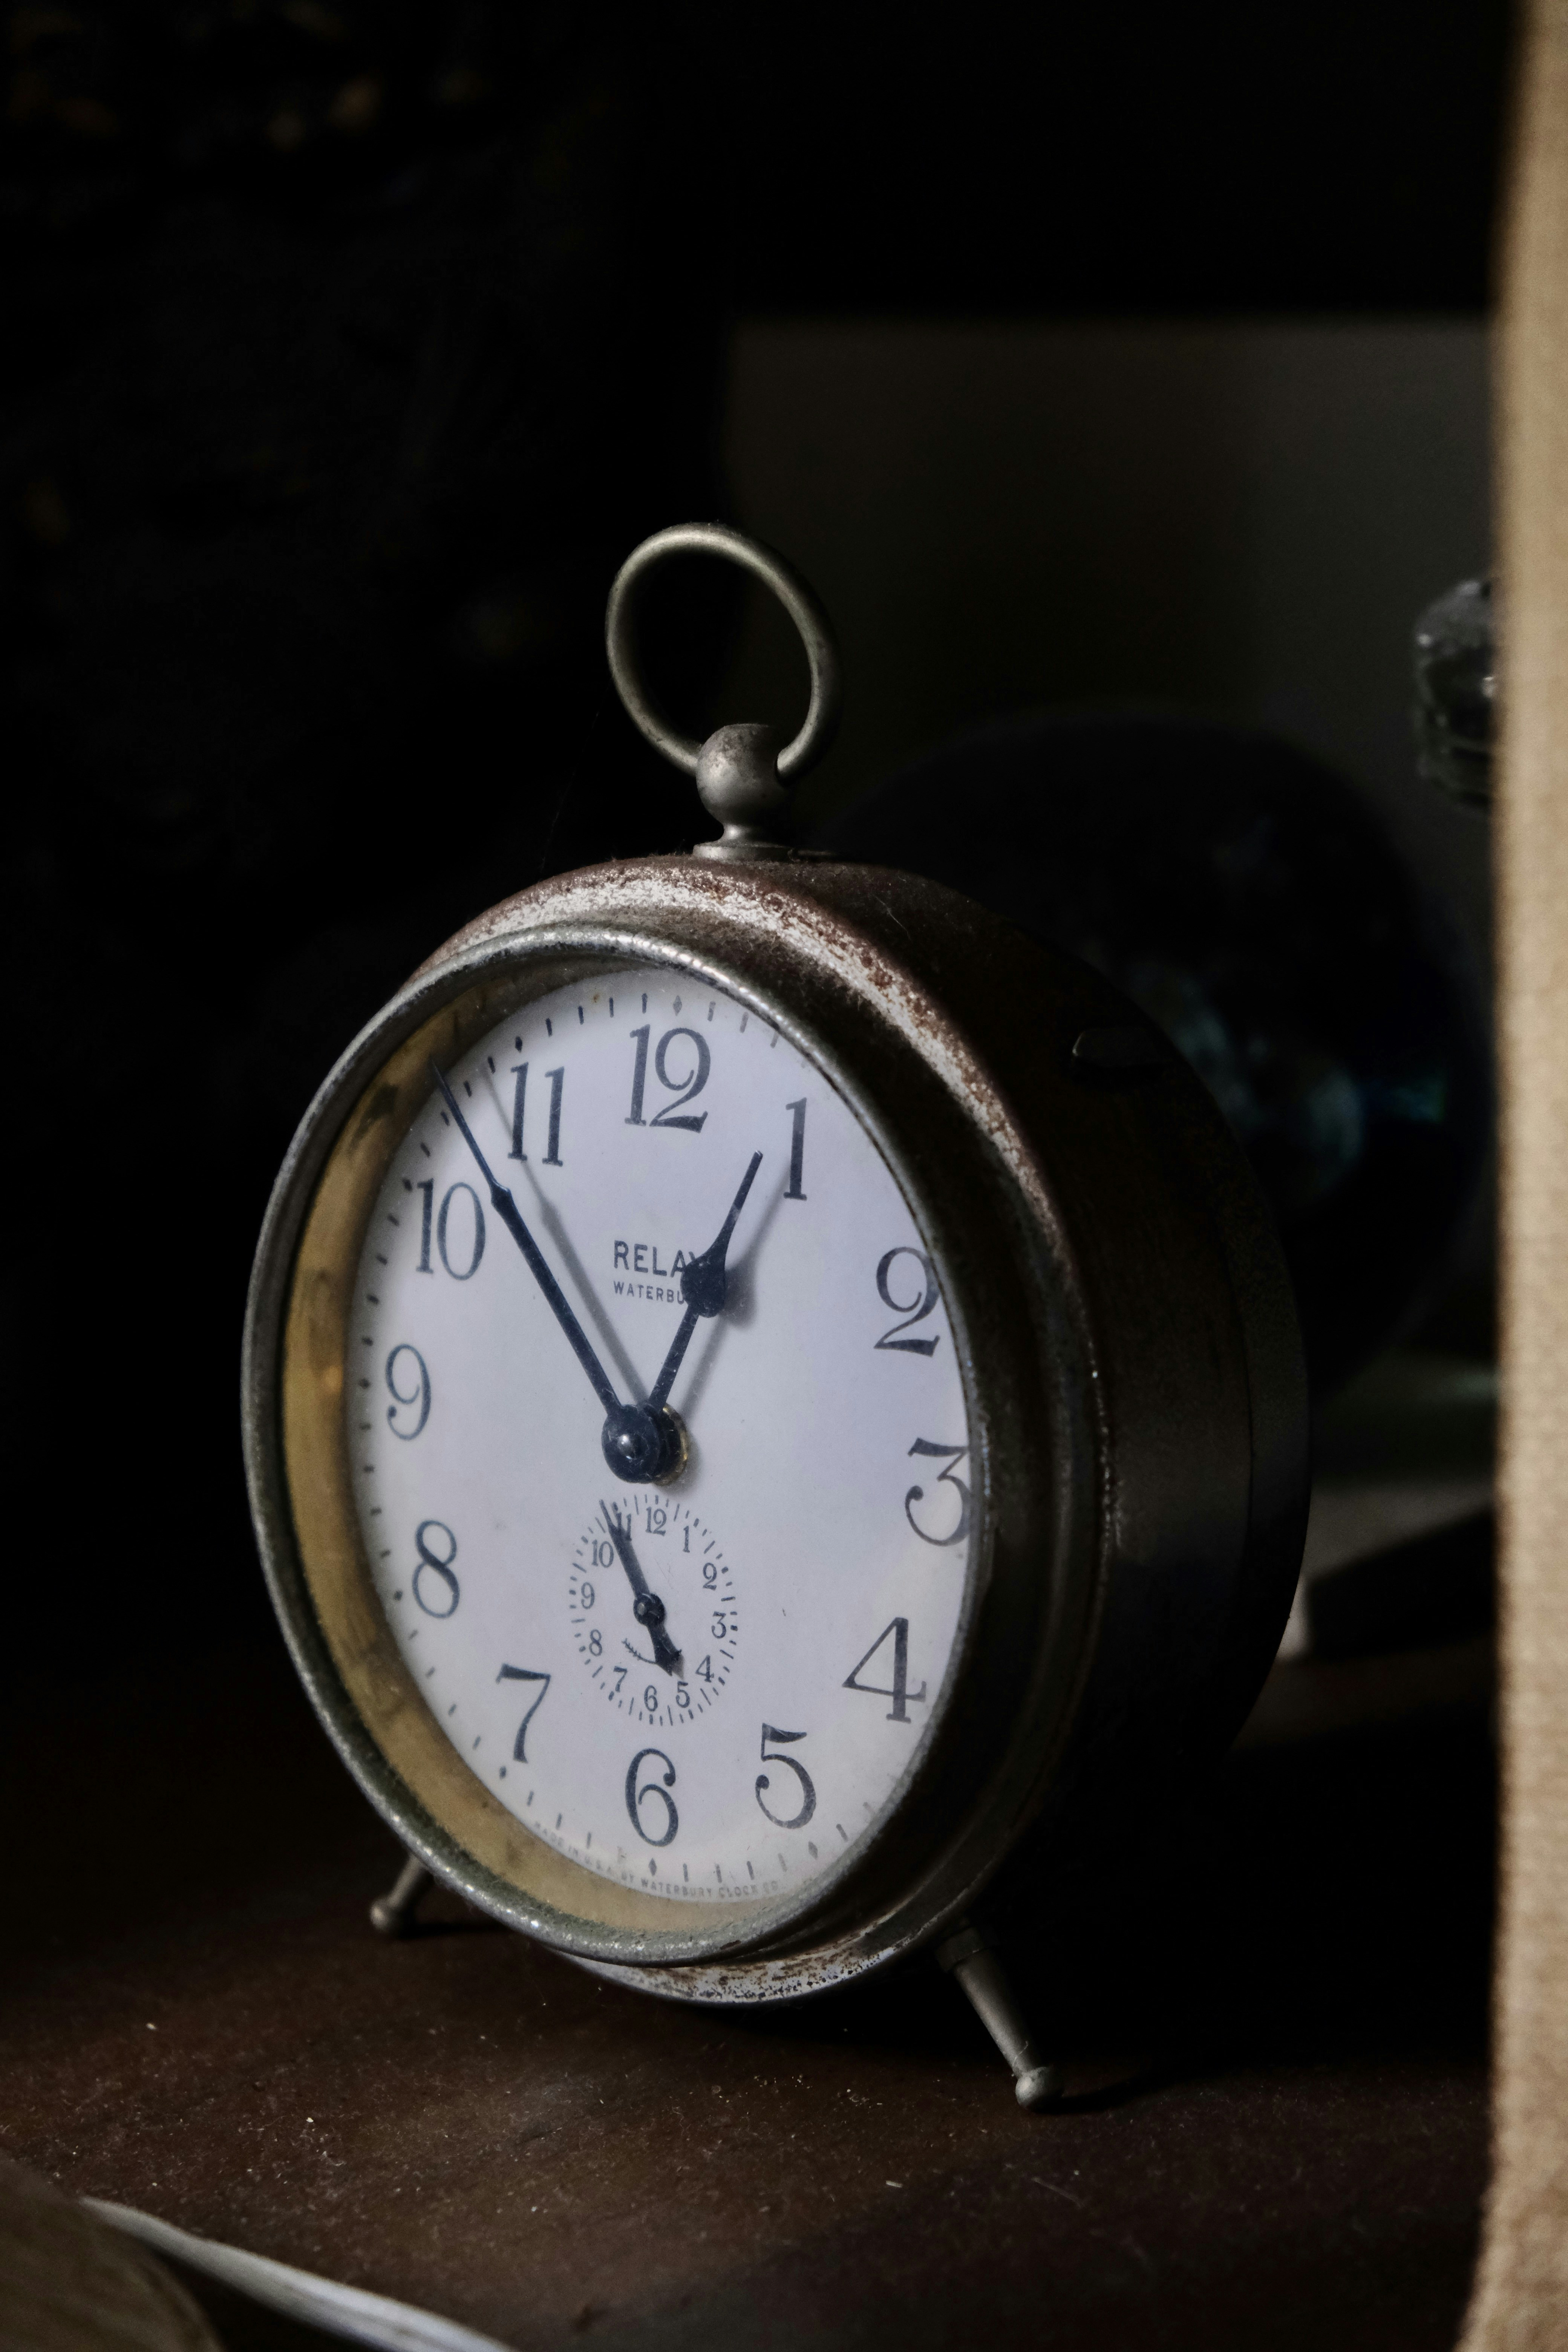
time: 12:52
